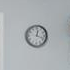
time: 12:18
